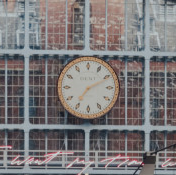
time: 7:10
